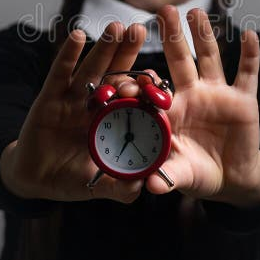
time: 7:00
